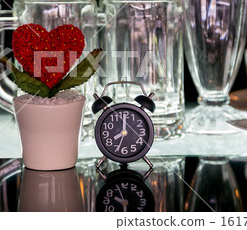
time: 8:00
